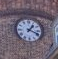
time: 1:18
